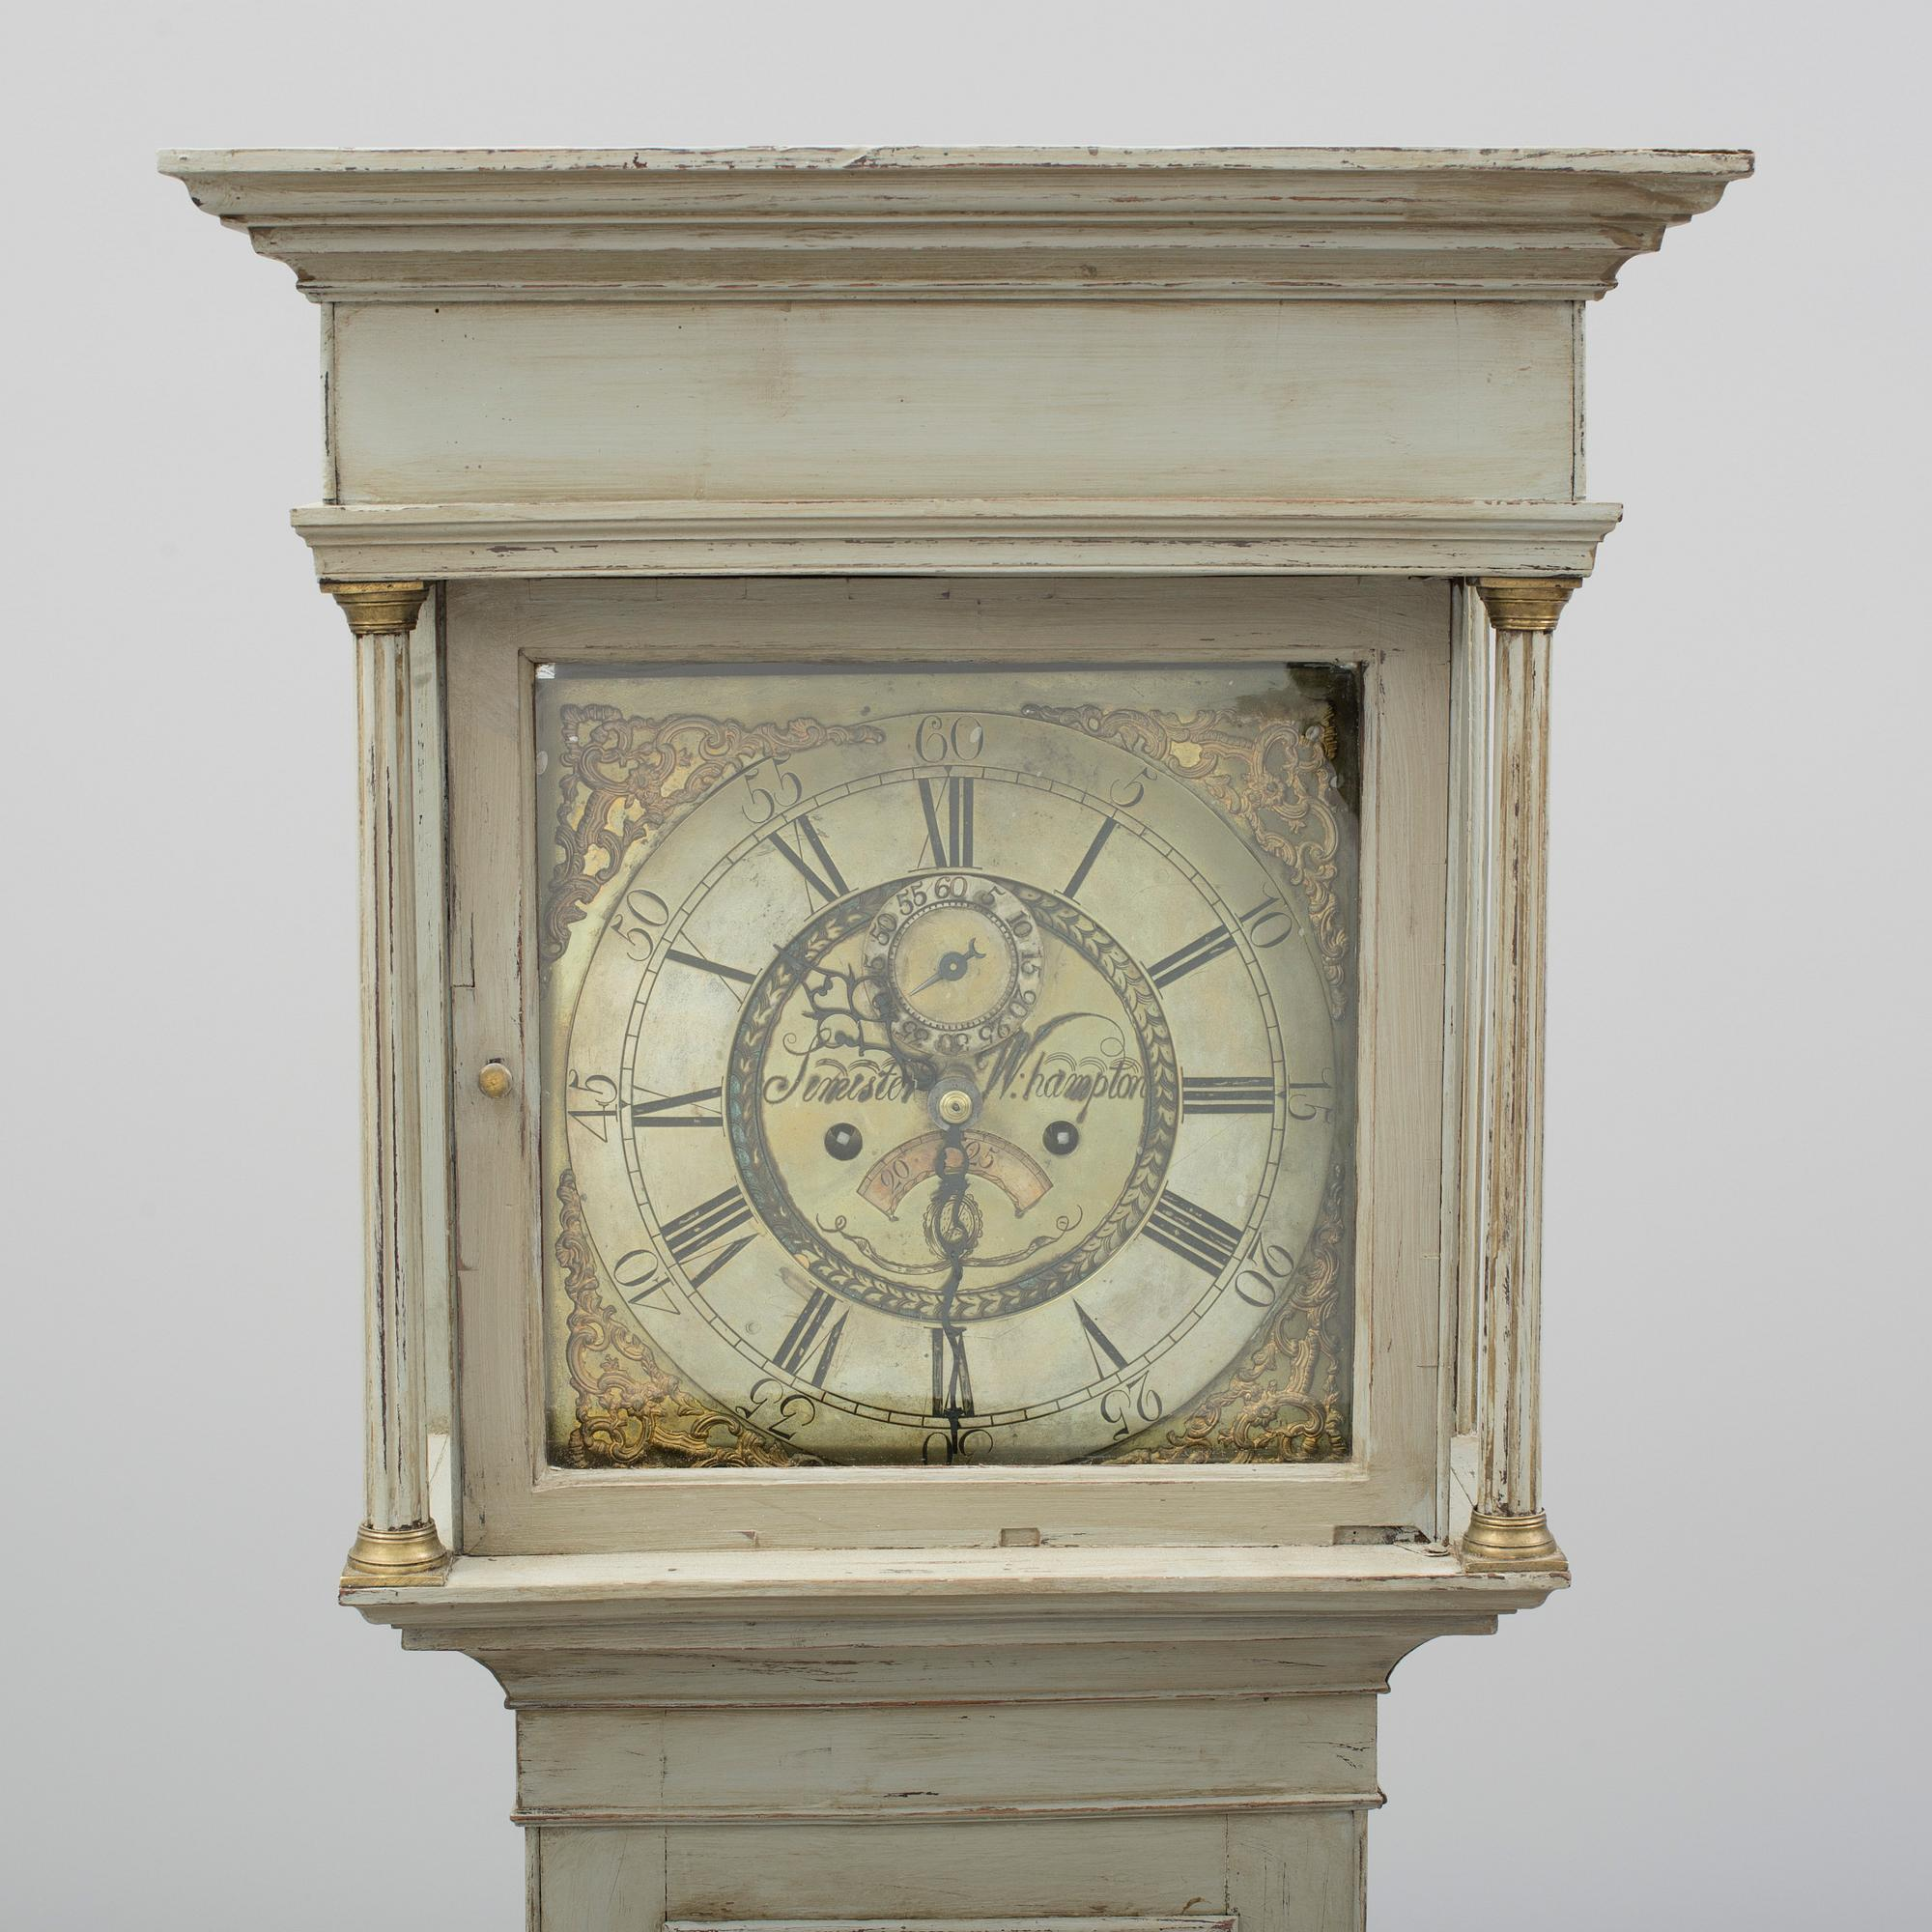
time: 11:30
